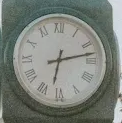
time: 6:12
